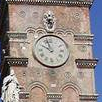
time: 9:57
